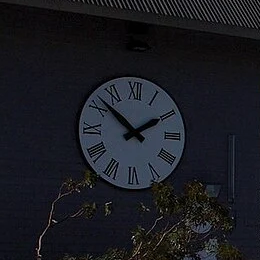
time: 1:51
